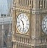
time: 10:28
